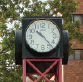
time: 10:23
